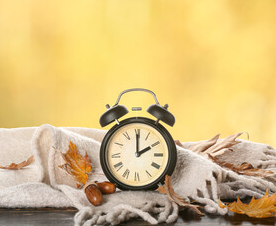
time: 2:00
